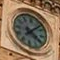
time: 4:07
